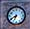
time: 6:40
